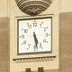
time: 5:28
